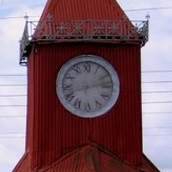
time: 8:12
